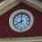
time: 7:59
